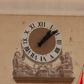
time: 1:08
